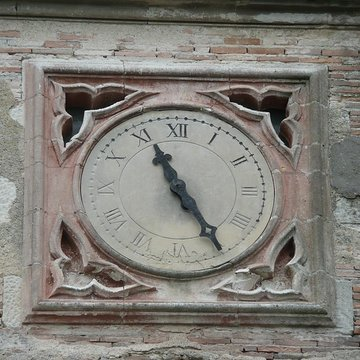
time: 11:25
